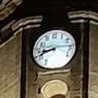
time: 8:41
